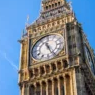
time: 11:25
